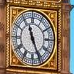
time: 11:25
